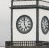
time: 4:59
